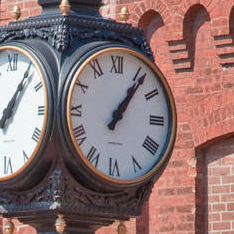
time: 1:06
